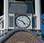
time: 4:49
